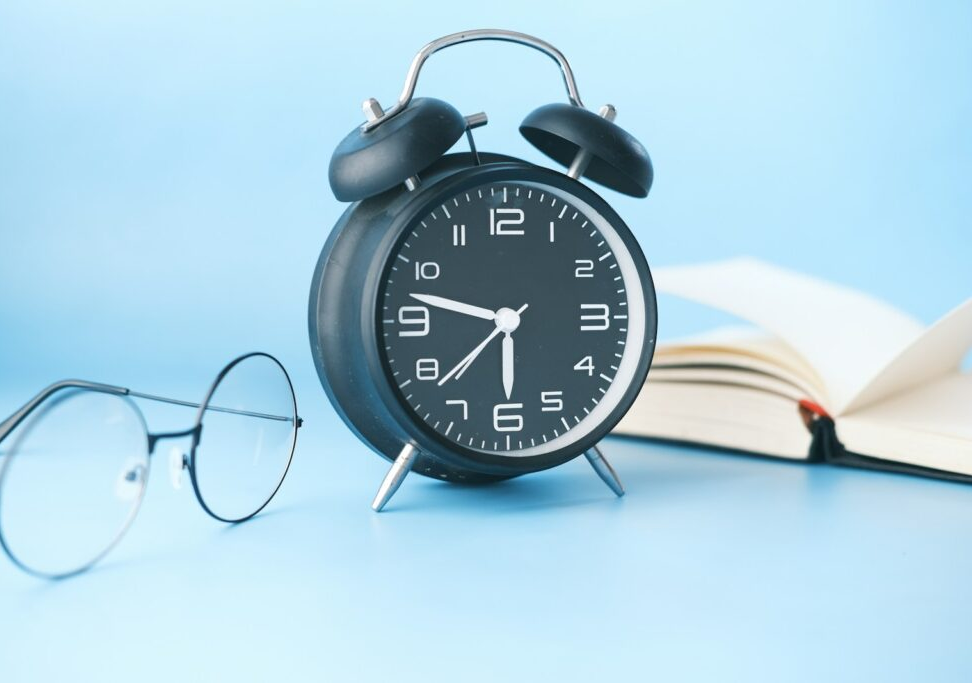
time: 5:47
